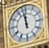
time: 11:58
